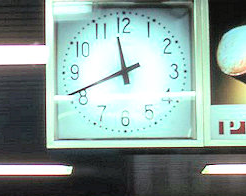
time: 11:41
